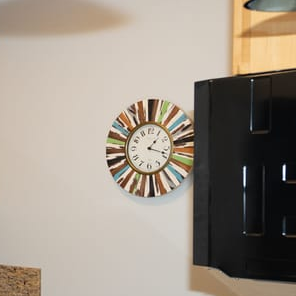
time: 1:18
